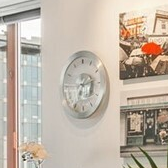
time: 2:34
